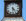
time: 4:31
